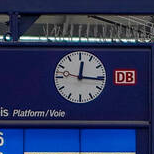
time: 12:16
